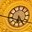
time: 6:24
